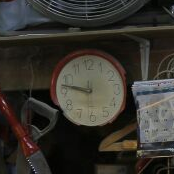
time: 9:47
